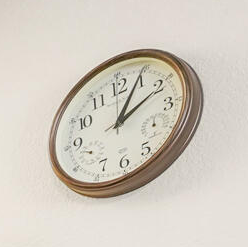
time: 2:04
